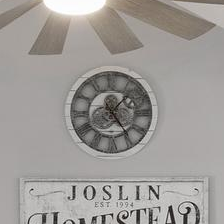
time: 1:24
